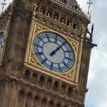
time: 1:05
